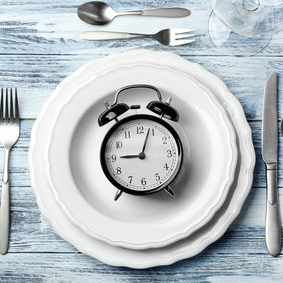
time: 9:03
